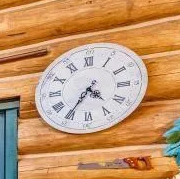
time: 4:35
